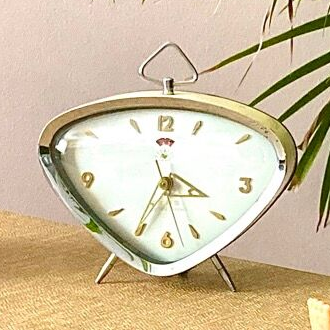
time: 4:34
